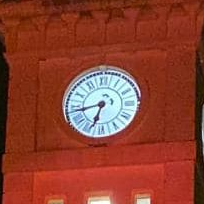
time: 6:43
